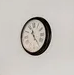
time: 11:24
